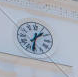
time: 1:31
